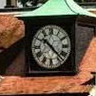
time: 10:22
